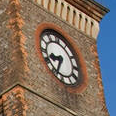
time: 8:34
